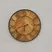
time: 6:41
